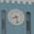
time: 8:27
